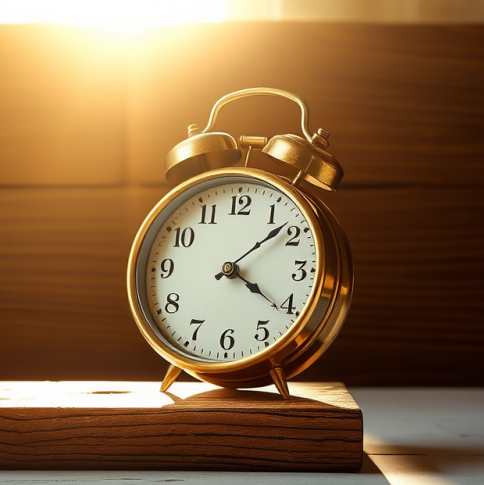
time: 4:08
